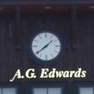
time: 1:38
